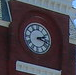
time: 2:18
